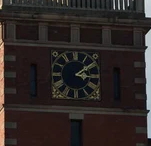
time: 3:09
